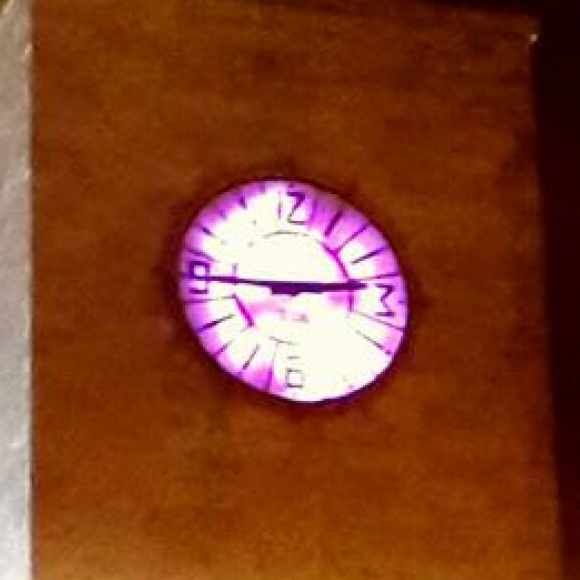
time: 2:45
